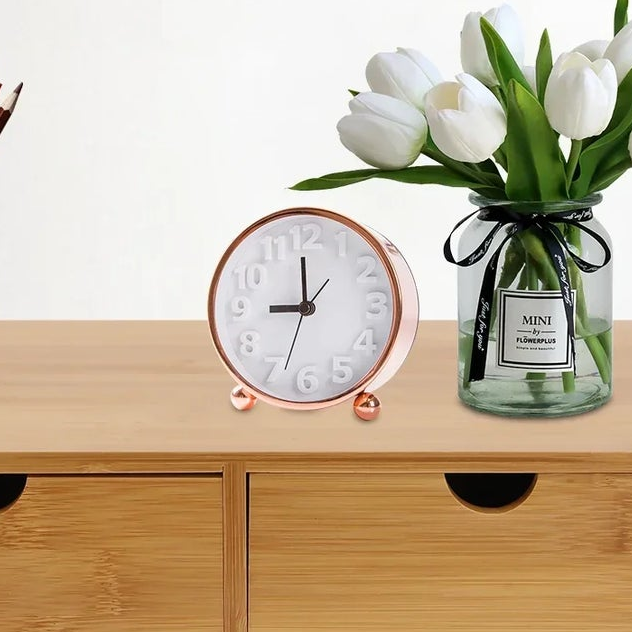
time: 8:59
